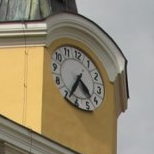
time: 4:34
